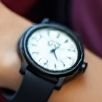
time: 1:27
